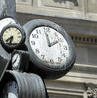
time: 1:59
